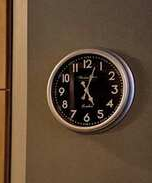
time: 5:03
